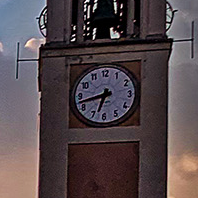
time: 6:42
